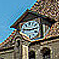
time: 2:46
